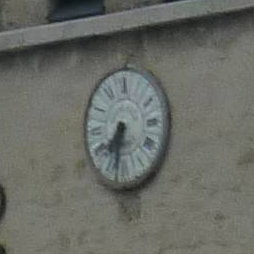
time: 7:32
